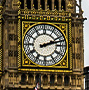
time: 2:12
